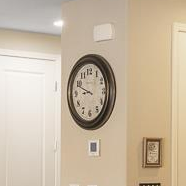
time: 8:48
